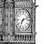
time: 7:11
